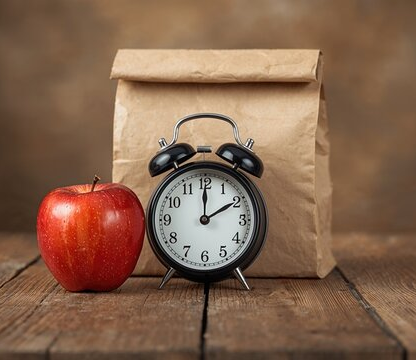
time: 2:00
